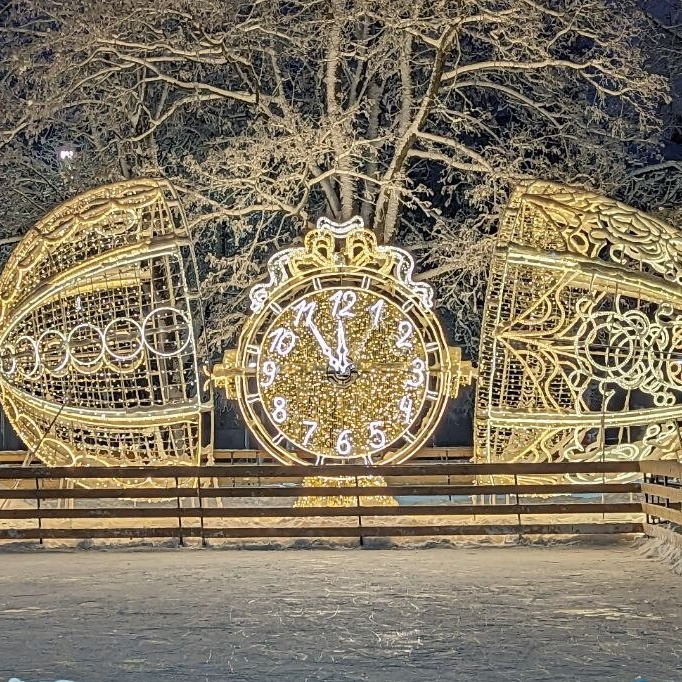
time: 10:59
